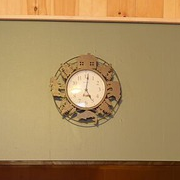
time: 5:01
